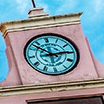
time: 2:52
